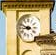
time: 8:48
